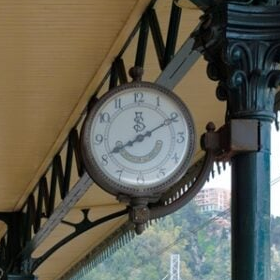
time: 8:10
